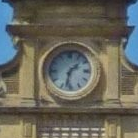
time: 1:32
